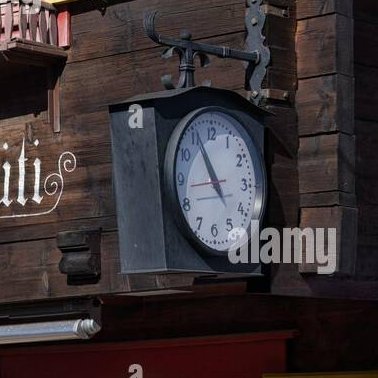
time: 10:55
